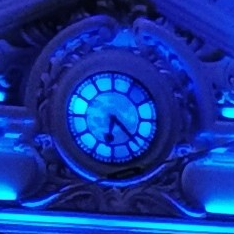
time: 6:22
